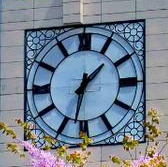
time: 1:32
